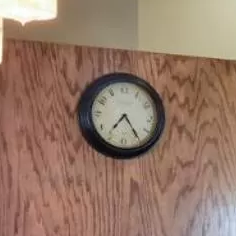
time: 7:24
